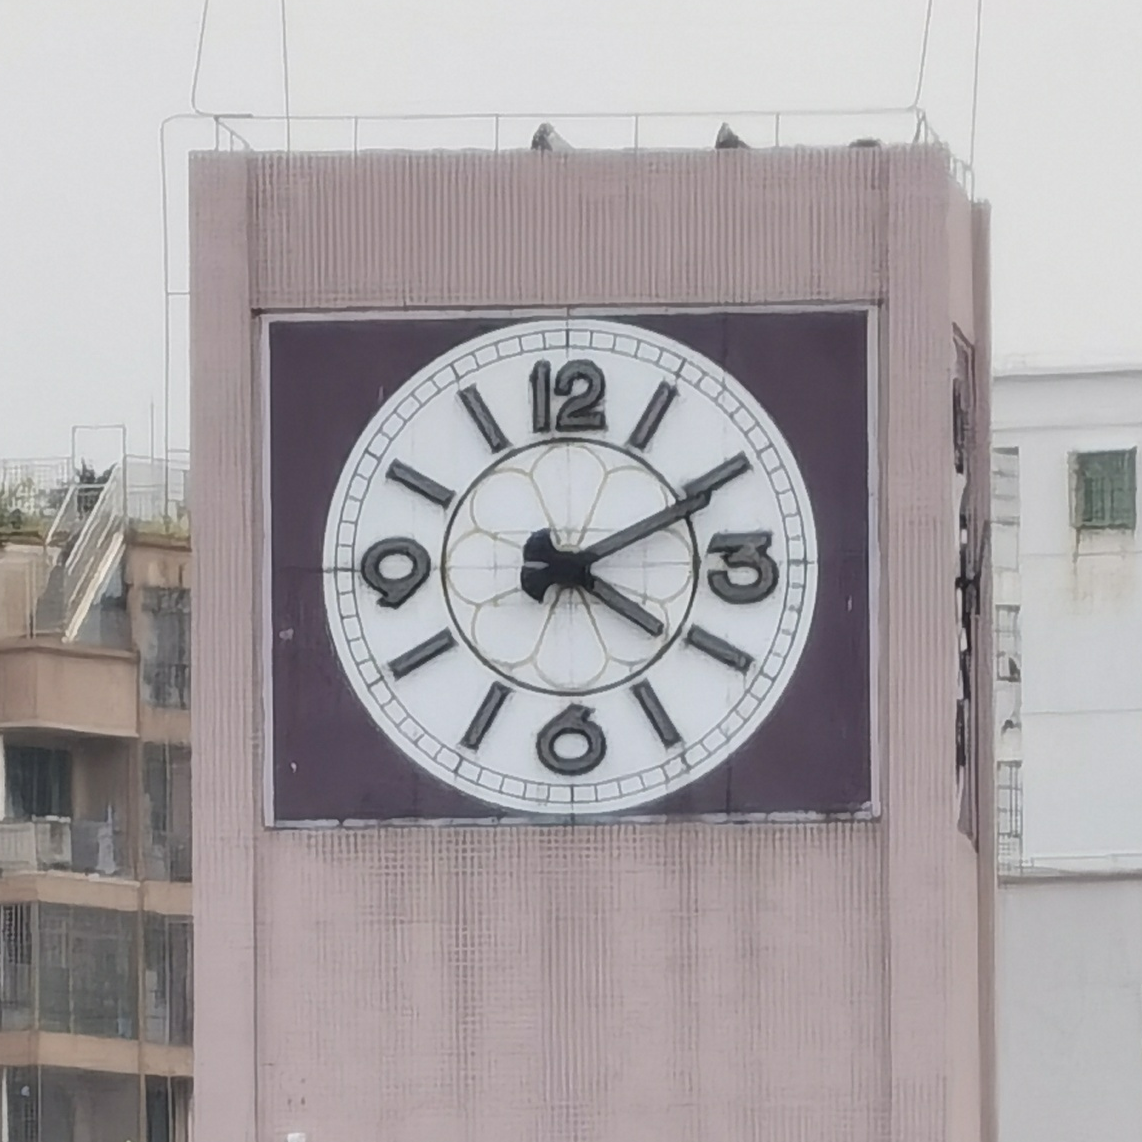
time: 4:10
